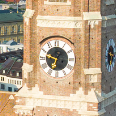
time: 6:47
